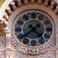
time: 4:38
